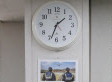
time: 1:33
